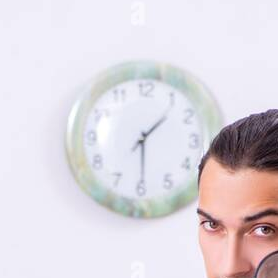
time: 1:29
